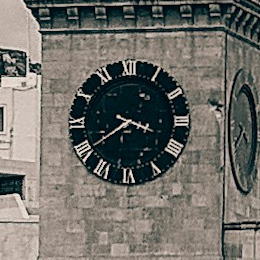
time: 3:39
